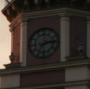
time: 7:13
